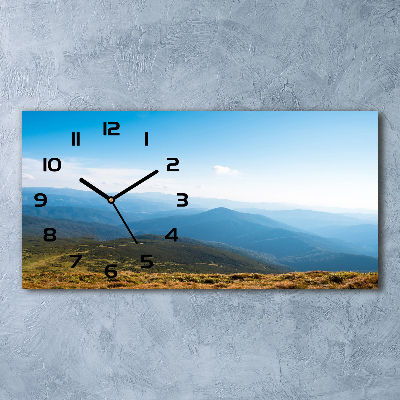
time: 10:09
